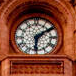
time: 6:09
